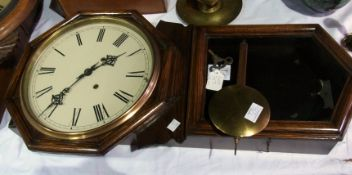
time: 1:36
